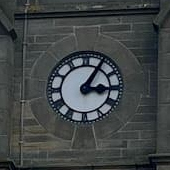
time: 3:05
